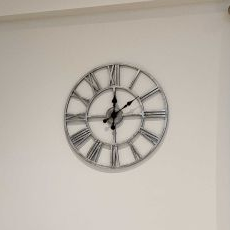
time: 12:09
